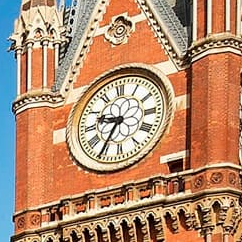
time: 9:35
